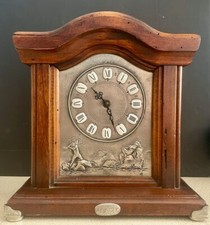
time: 10:26
